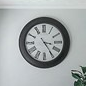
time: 3:24
